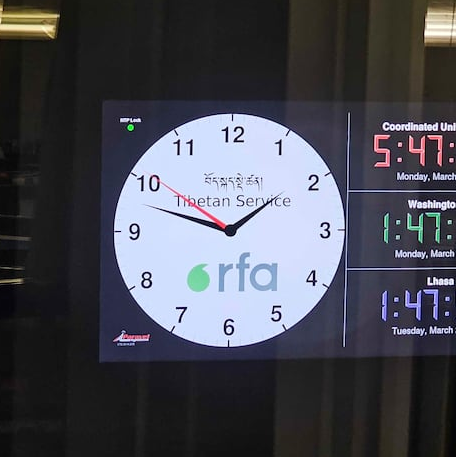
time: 1:47
